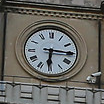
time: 6:15
